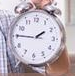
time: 1:45
